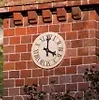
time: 4:00
